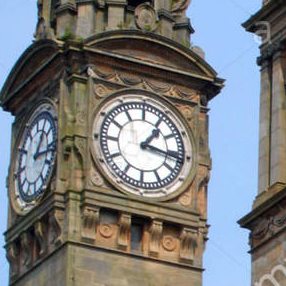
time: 1:16
